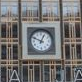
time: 12:49
